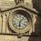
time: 6:06
